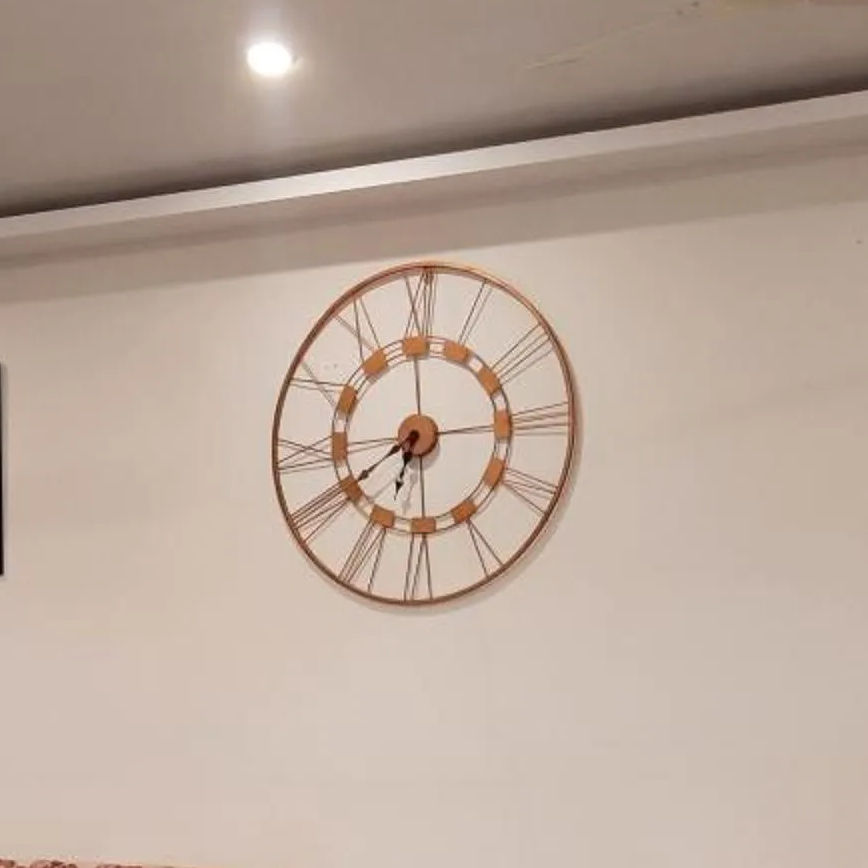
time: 6:40
